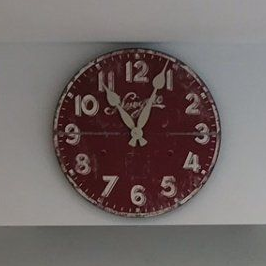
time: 11:04
